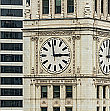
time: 2:58
